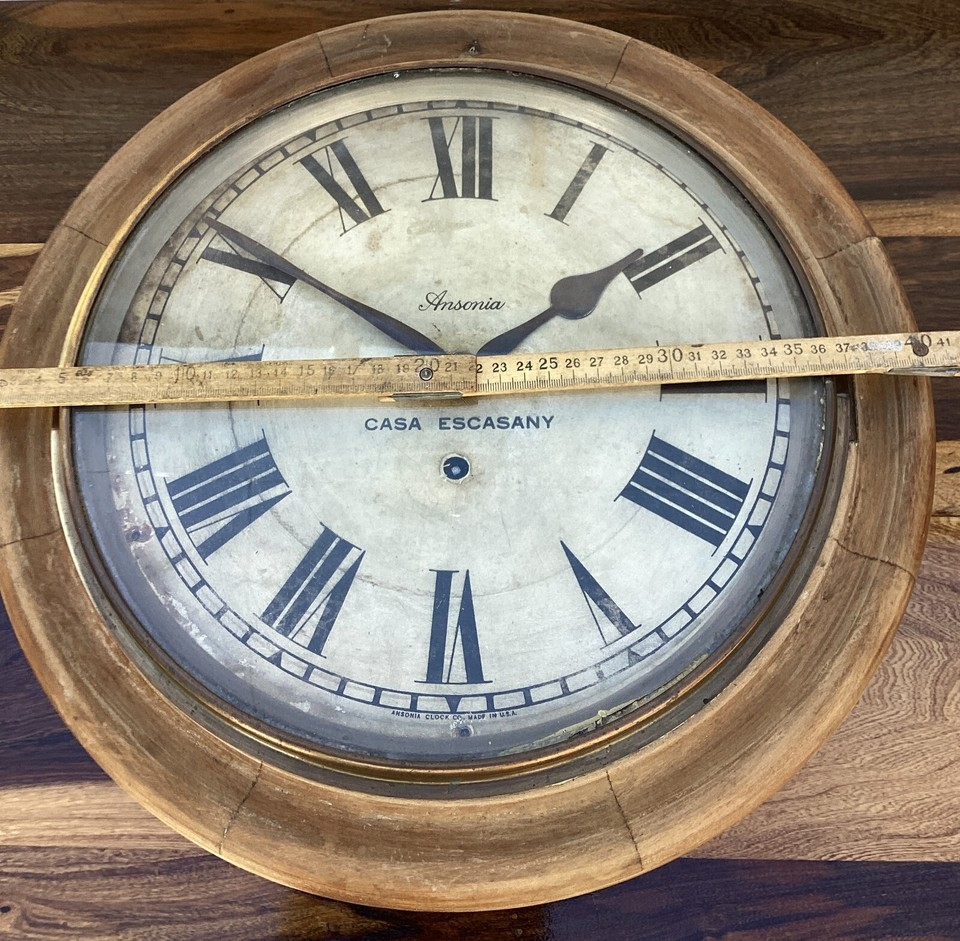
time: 1:50
